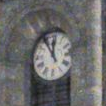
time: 11:54
